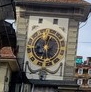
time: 12:28
